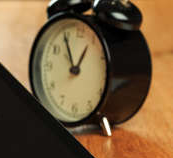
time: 12:55
